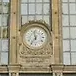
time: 11:35
